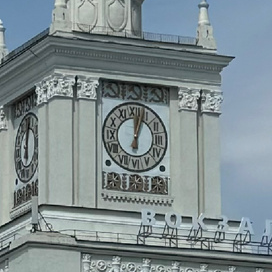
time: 12:02
